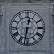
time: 12:31
